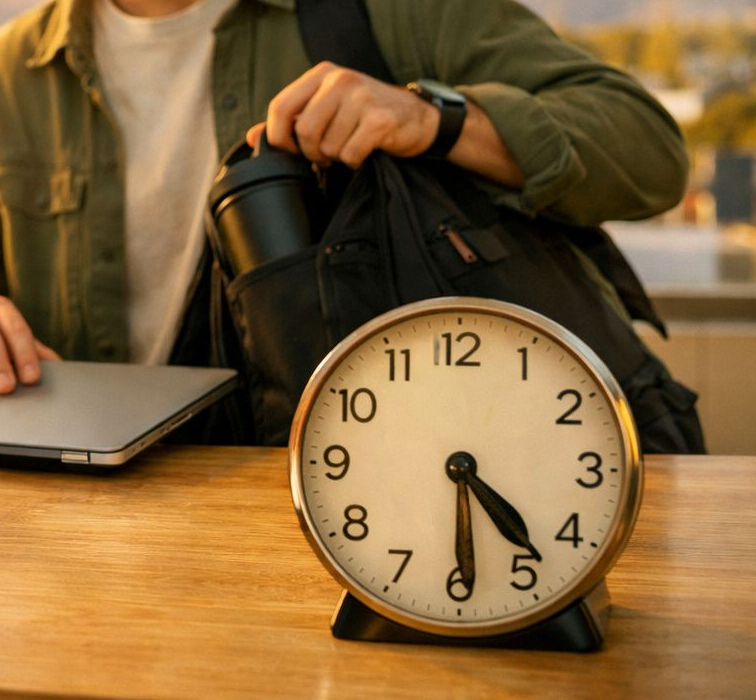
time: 4:29
